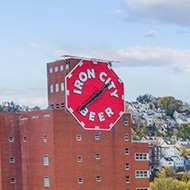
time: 1:38
